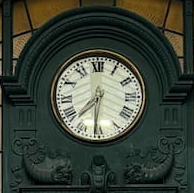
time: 7:31
